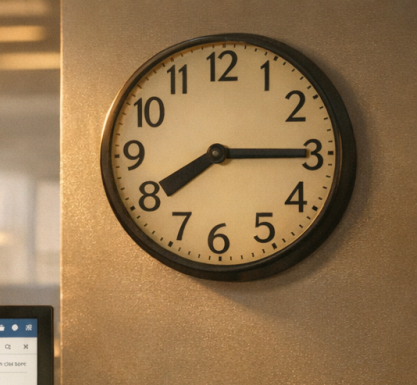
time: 8:15
